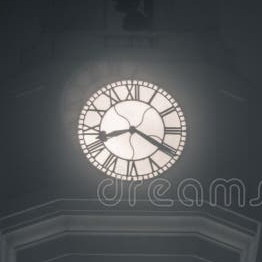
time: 8:20
